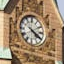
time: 4:20
